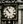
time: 10:52
